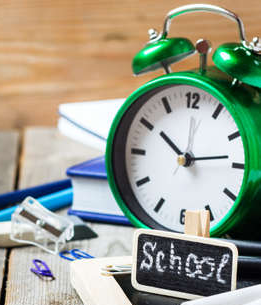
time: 10:13
